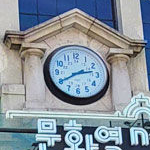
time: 2:40
